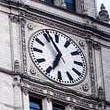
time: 6:55
